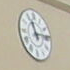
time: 11:13
